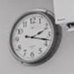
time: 2:17
